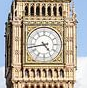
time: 4:43
